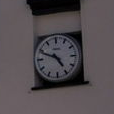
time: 4:48
